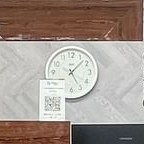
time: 5:07
